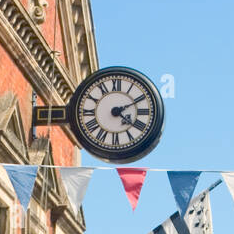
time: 4:10
